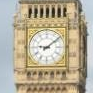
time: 9:08
